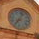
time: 7:03
